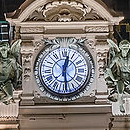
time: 12:28
